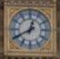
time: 12:40
